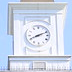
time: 8:11
